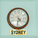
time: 4:31
